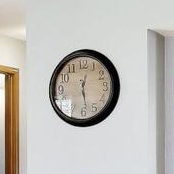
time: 12:28
